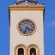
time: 4:33
